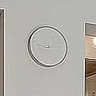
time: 9:13
